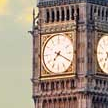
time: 7:19
